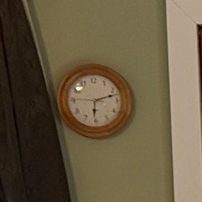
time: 6:12
